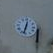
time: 12:32
